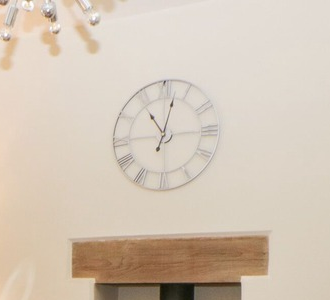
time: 11:02
